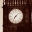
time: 7:07
